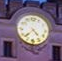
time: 4:37
